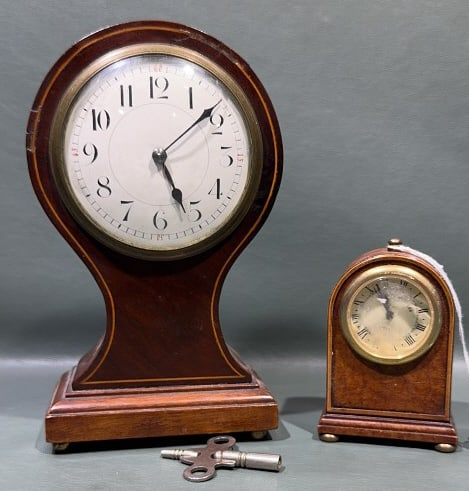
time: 5:08
